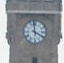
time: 3:58
